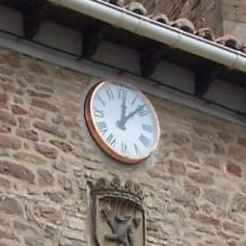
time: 12:07
